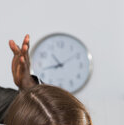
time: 10:42
